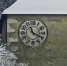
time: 11:19
